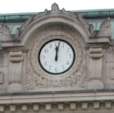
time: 12:01
